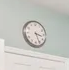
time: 3:26
